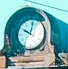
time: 10:02
